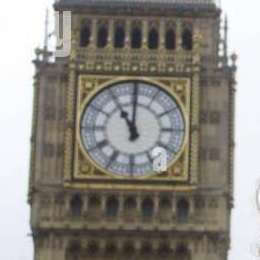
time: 11:00
